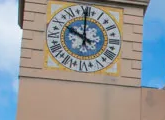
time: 10:00
